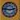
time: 2:46
